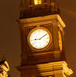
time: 9:09
